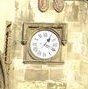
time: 1:18
